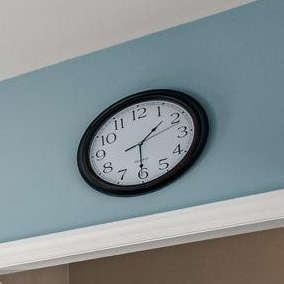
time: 1:30
